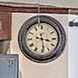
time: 3:28
